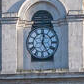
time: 12:24
